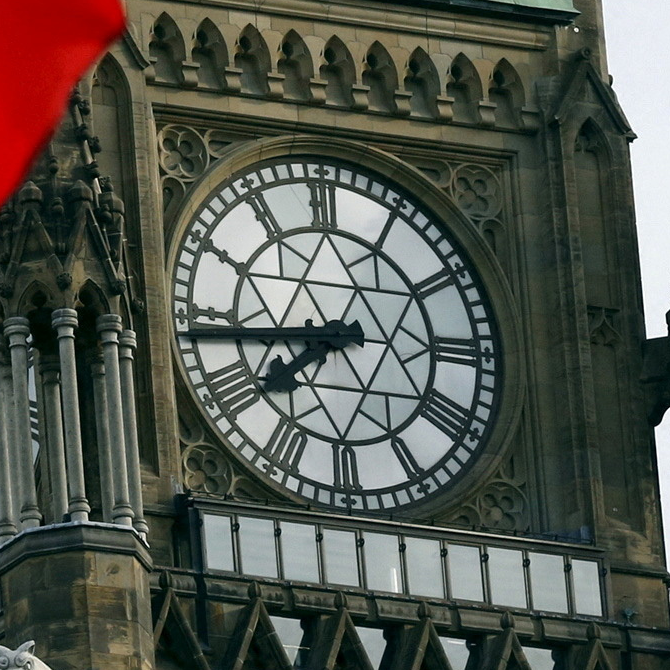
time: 7:43
